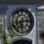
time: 6:13
